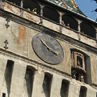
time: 3:52
